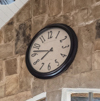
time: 7:46
